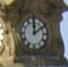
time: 12:09
